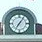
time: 7:06
